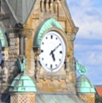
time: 5:09
